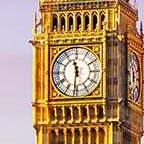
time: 11:31
